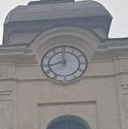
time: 11:42
